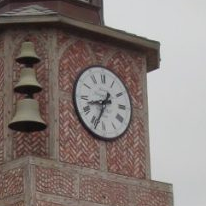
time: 8:34
